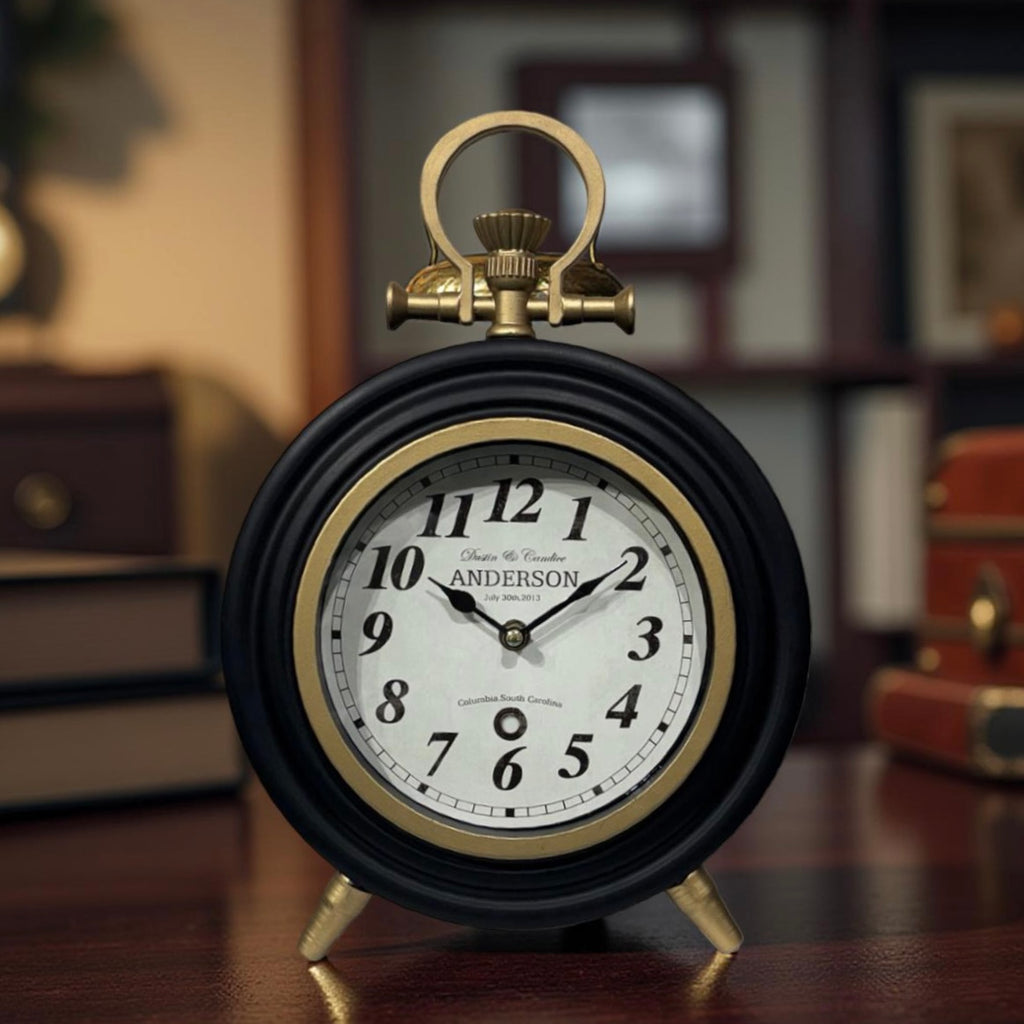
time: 10:09
